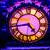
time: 4:42
